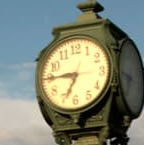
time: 6:45
